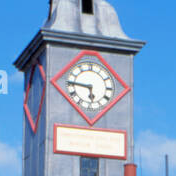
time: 5:46
